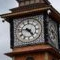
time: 4:46
